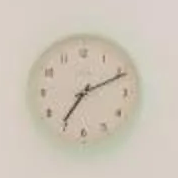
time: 7:10
